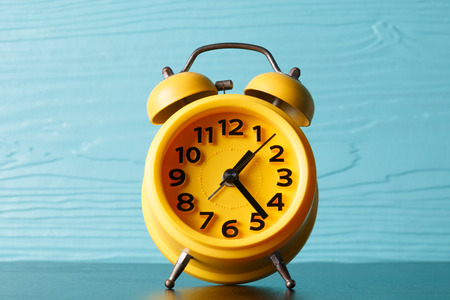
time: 1:23
